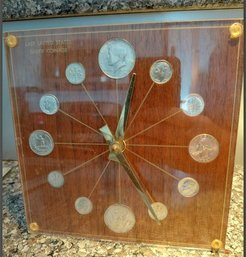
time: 12:24
